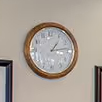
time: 1:13
